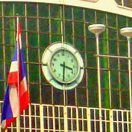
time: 3:31
